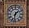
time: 1:32
